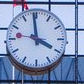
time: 3:58
